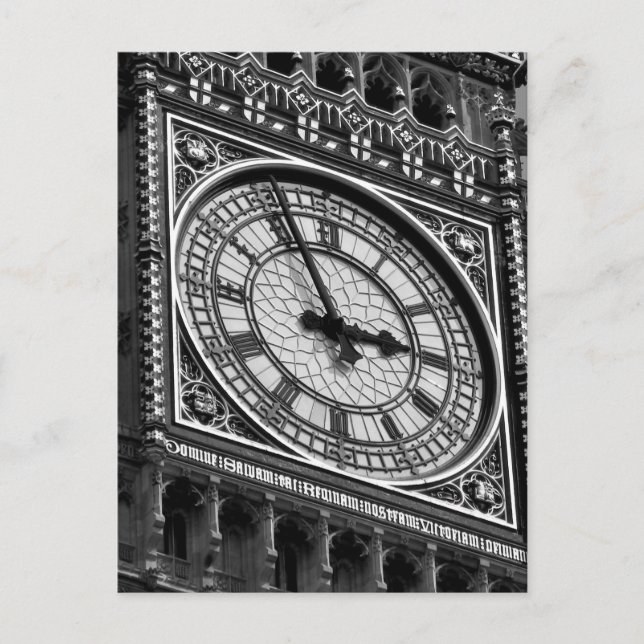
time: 2:56
